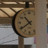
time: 10:39
